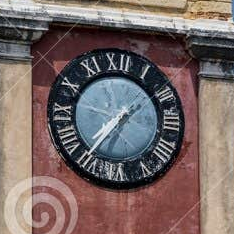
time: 7:36
